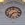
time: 7:13
